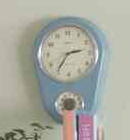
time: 2:35
